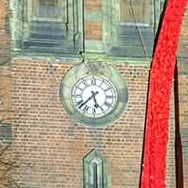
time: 5:37
